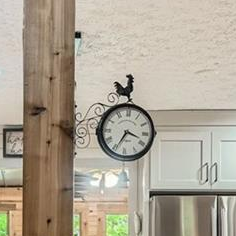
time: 3:34
